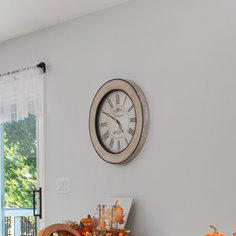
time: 4:49
